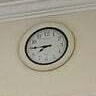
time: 7:45
